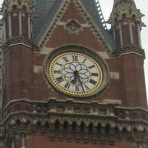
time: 6:27
